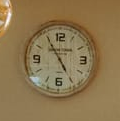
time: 4:54
